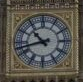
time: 10:42
